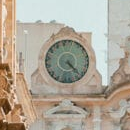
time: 4:22
